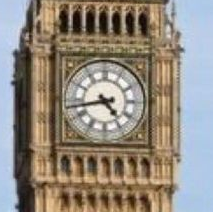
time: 4:43
